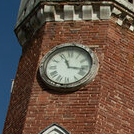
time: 11:16
